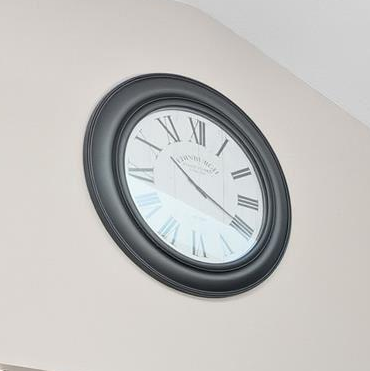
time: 10:19
